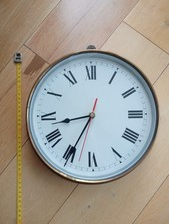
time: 8:34
